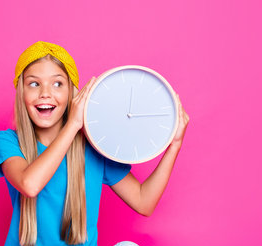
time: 12:17
